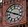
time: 3:48
